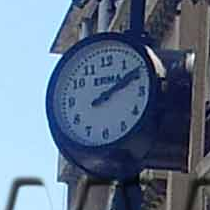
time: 2:09
